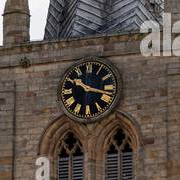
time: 10:17
